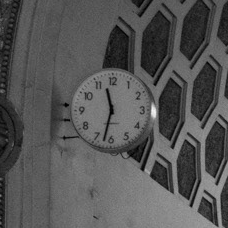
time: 11:32
